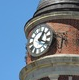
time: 1:20
